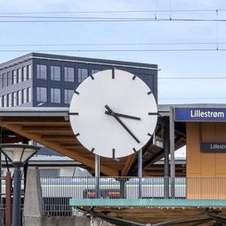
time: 3:22
